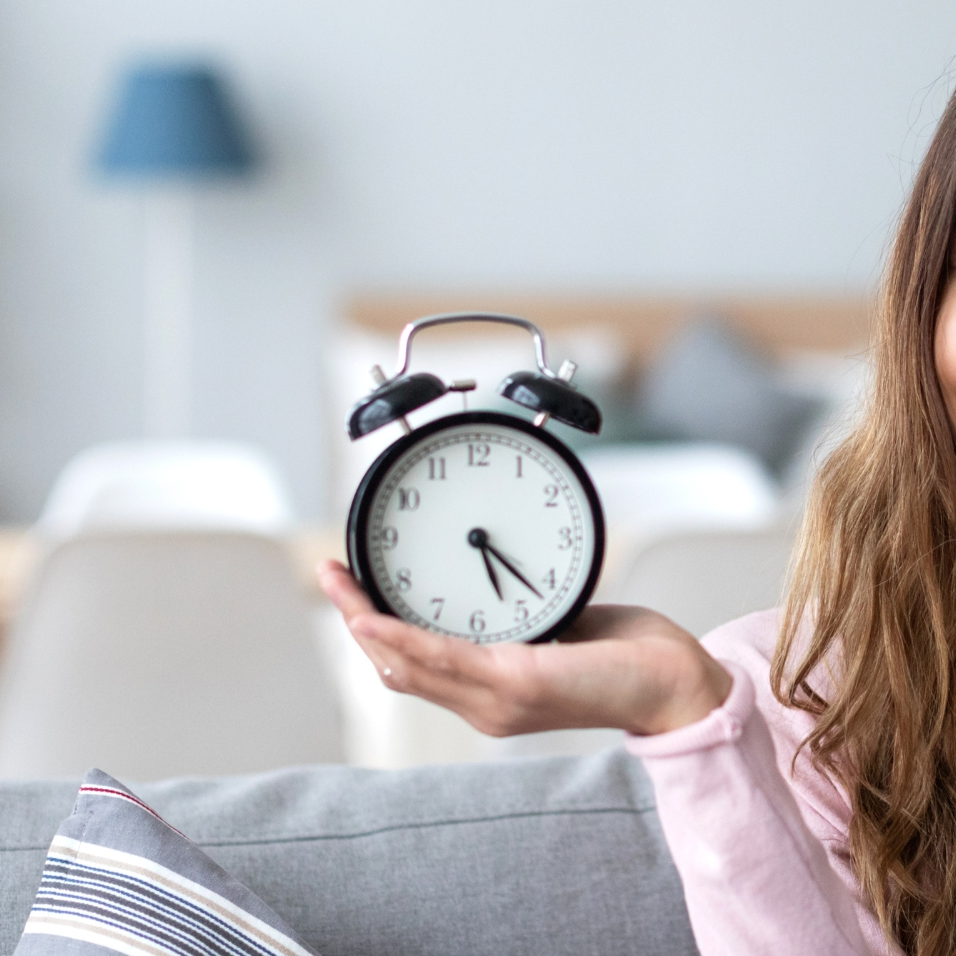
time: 5:22
